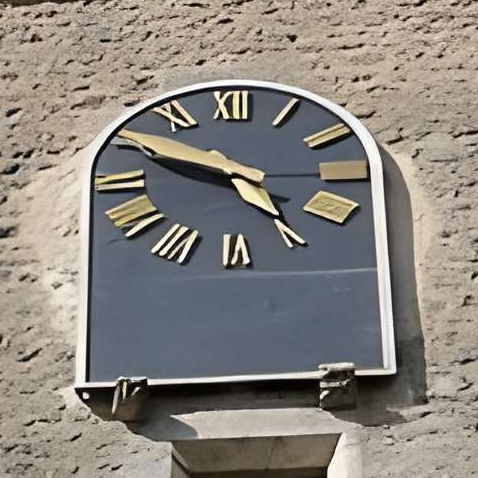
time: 4:50
